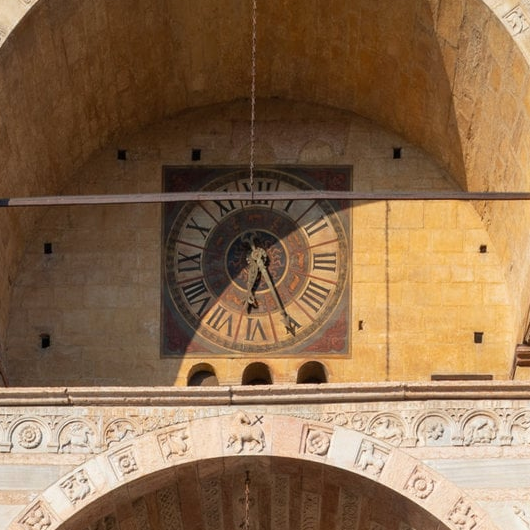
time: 6:25
